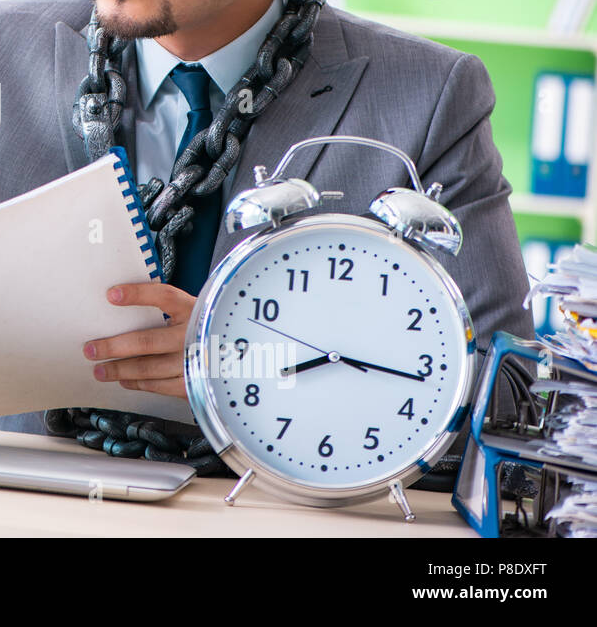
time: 8:16
